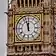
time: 11:57
